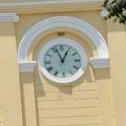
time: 12:56
